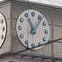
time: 11:06
